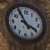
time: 3:55
